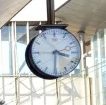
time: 3:30
